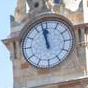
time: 11:58
